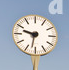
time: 9:32
